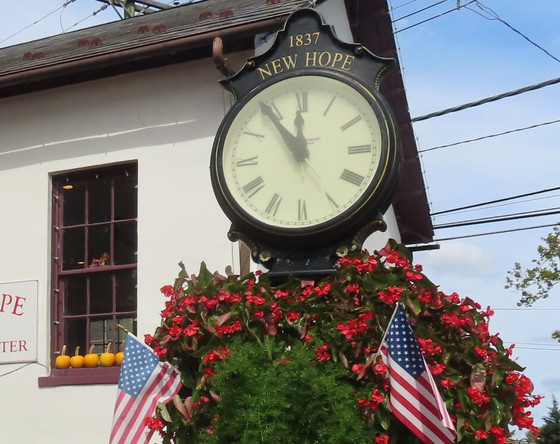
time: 11:54
